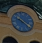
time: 10:20
